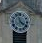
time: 11:21
